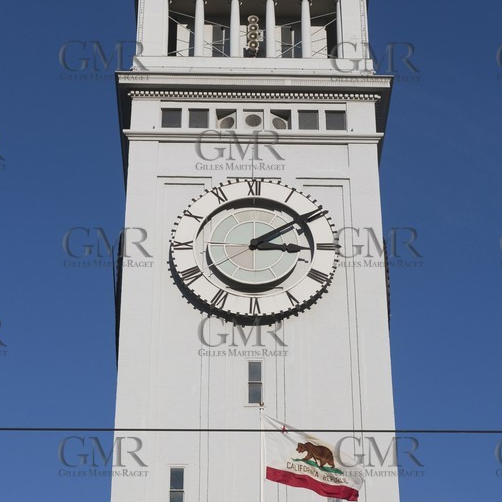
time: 3:09
